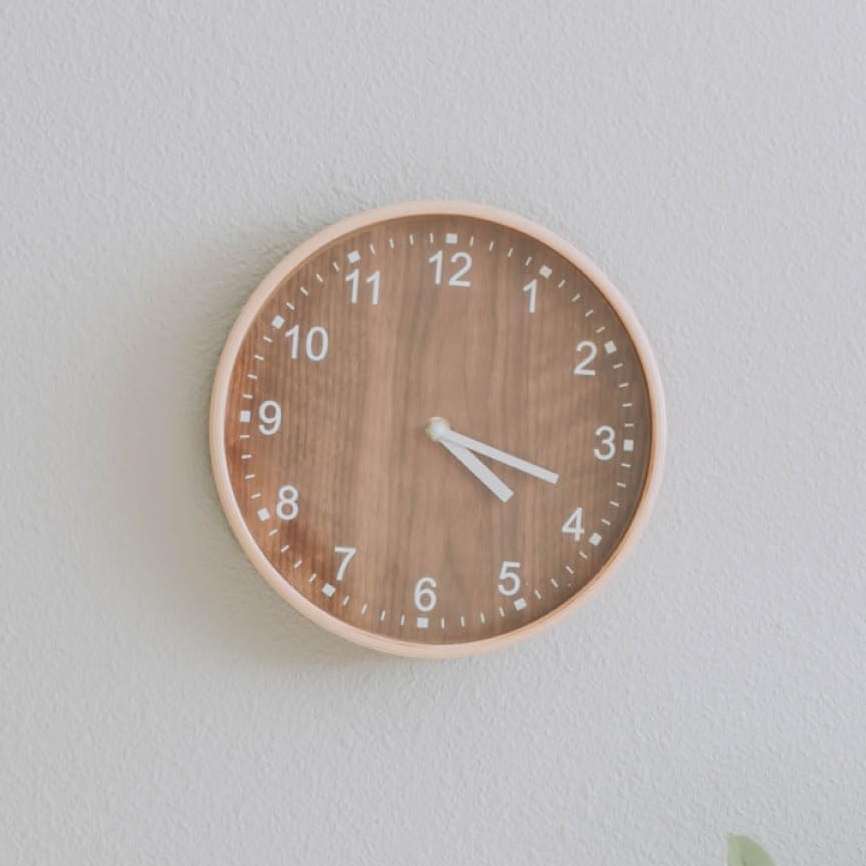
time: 4:18
